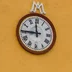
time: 11:45
